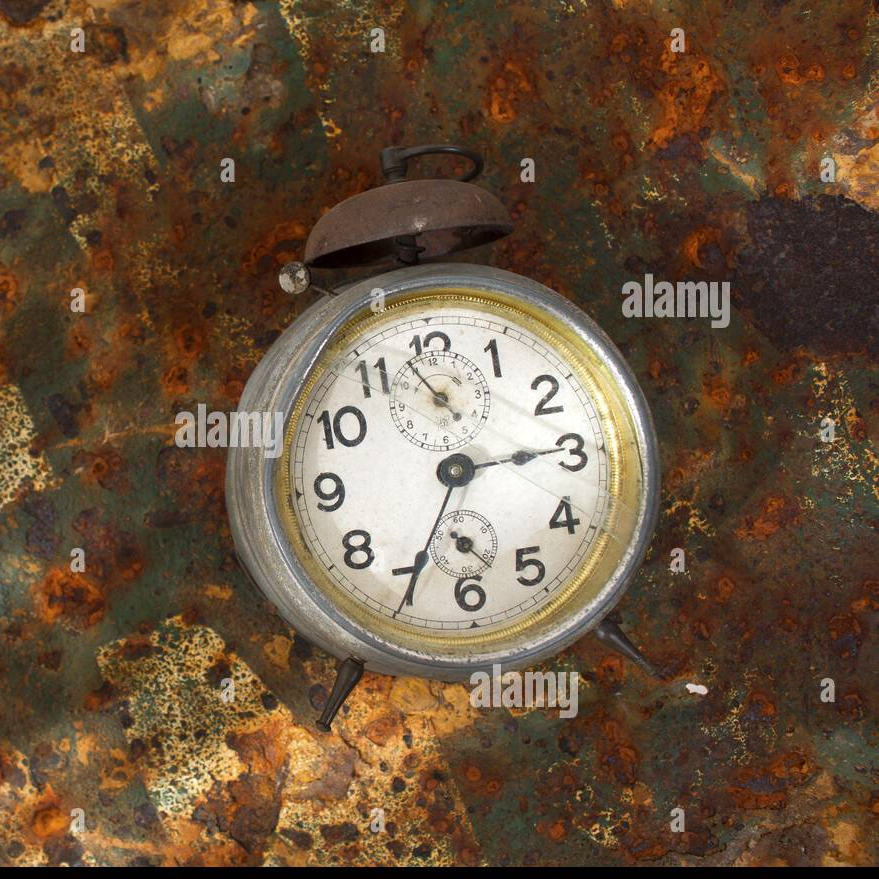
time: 2:35
